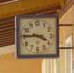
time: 3:45
